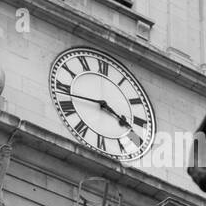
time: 3:43
